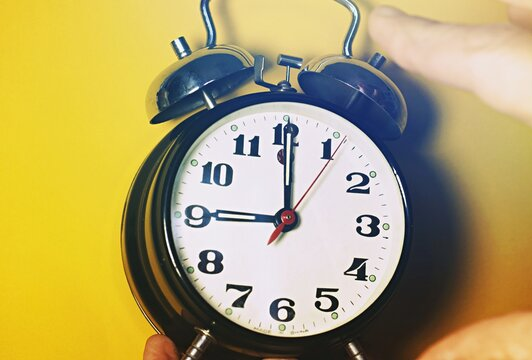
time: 9:00
